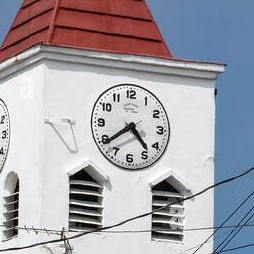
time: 4:38
